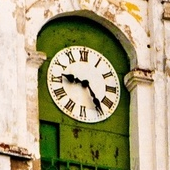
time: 9:23
